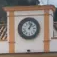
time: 1:02
